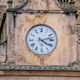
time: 4:12
